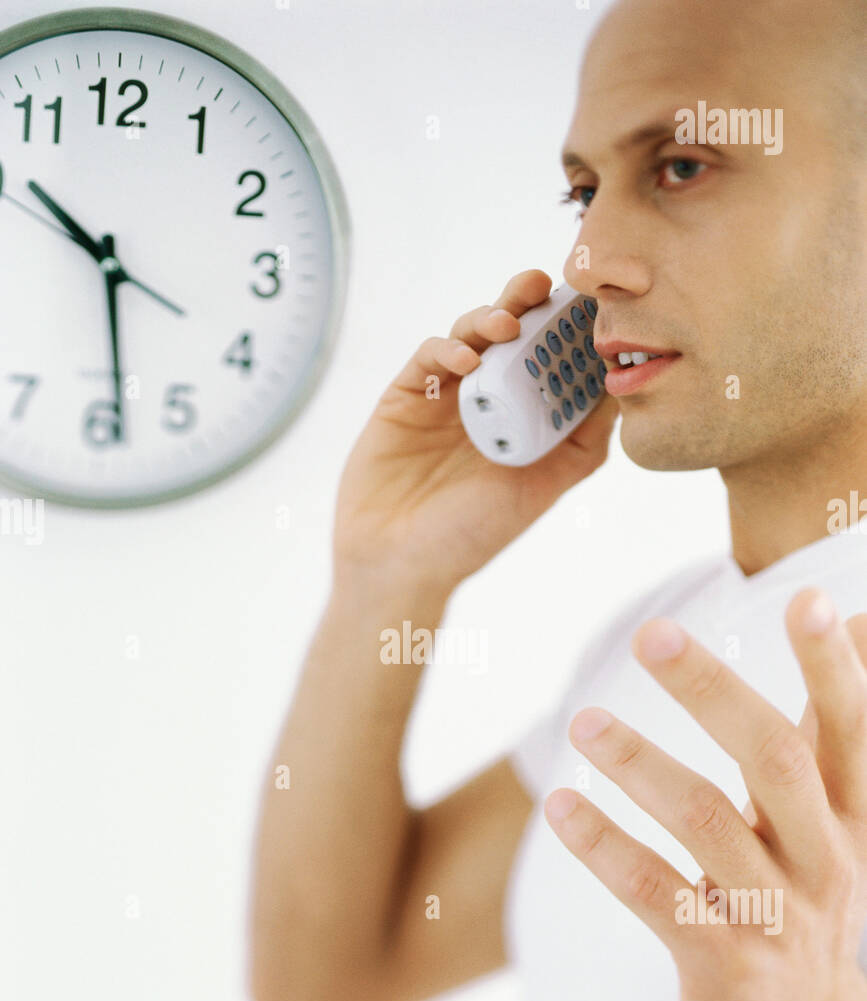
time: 10:28
